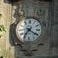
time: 7:20
